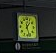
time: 1:26
